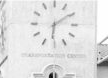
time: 6:09
